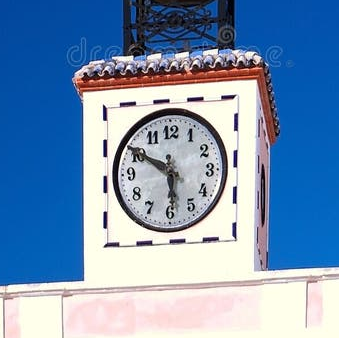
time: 5:49
